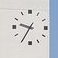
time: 9:35
